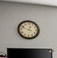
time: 12:48
